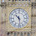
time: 10:28
